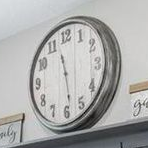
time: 11:28
